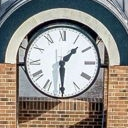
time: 1:29
